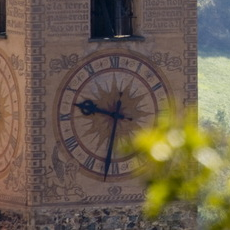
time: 9:32
